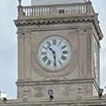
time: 10:28
